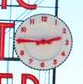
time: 2:45
